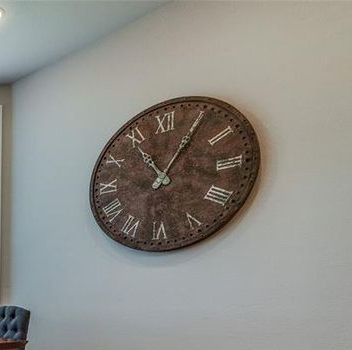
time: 11:05
